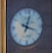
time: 12:18
